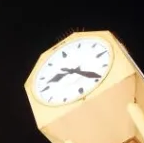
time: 8:18
